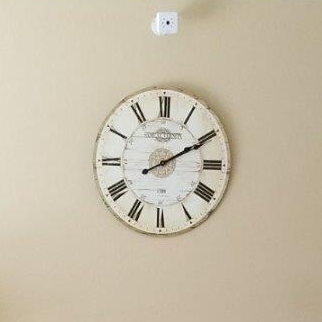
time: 2:10
